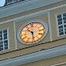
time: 10:28
